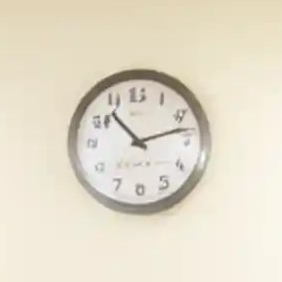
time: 10:12
